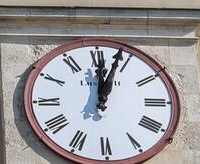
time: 12:03
